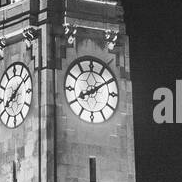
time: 8:09
